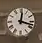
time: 12:17
